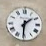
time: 1:30
